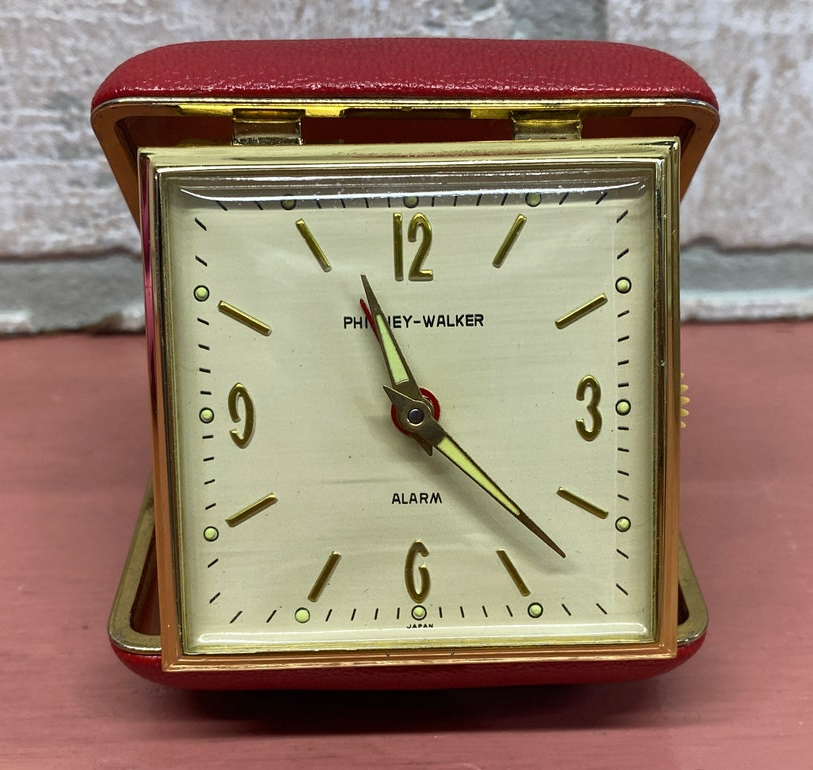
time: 11:22
